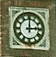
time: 3:00
